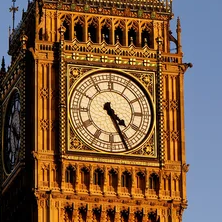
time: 4:26
